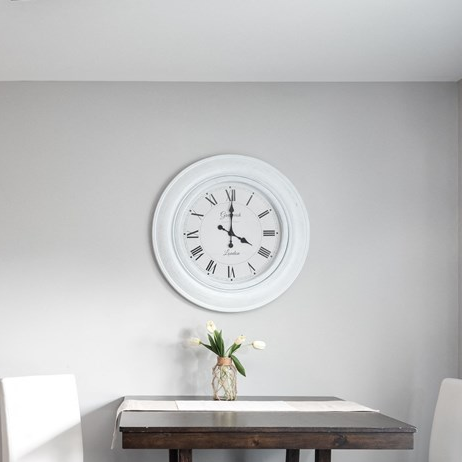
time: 4:00
